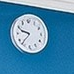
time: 9:36
